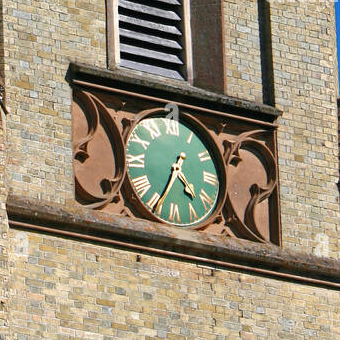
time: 4:34
